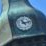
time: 11:12
